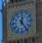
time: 12:23
